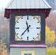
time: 11:36
